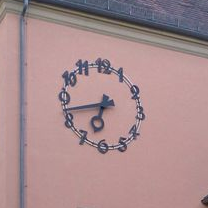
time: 6:42
